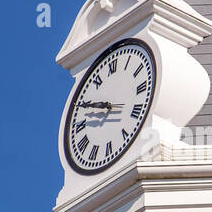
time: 9:49
